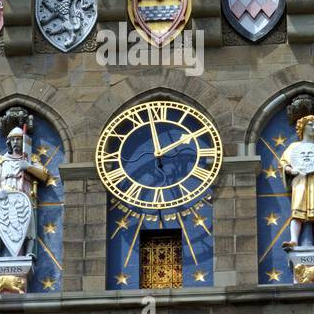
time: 1:58
